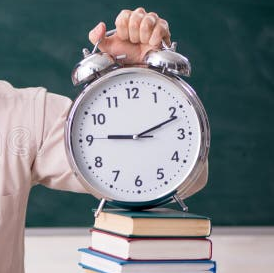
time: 9:11
